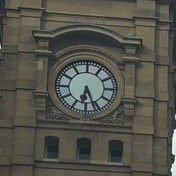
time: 6:26
